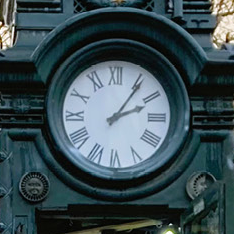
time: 2:06
